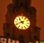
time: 10:41
